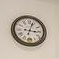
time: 3:03
